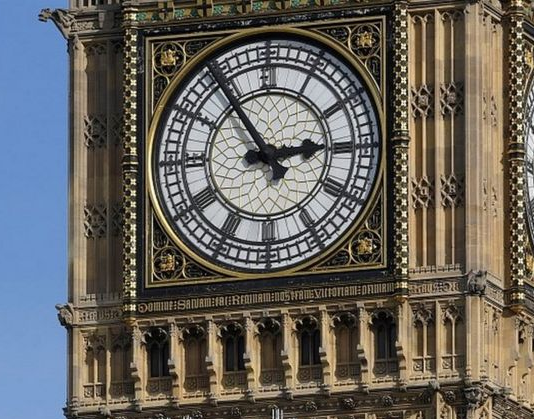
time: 2:54
